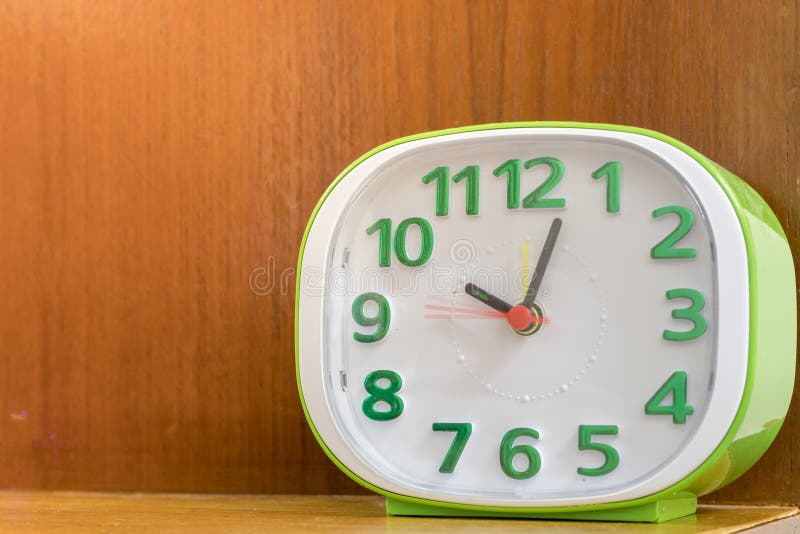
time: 10:03
